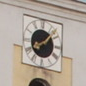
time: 8:07
